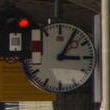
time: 3:05
